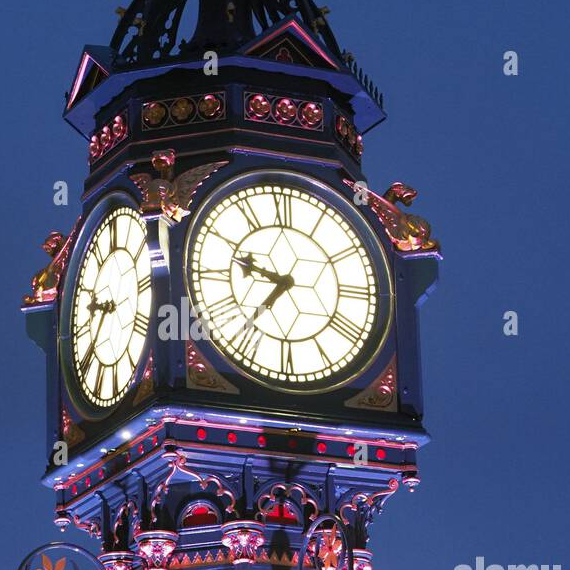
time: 9:36
